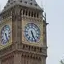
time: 5:26
